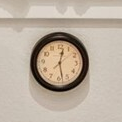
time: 12:28
